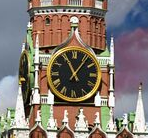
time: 11:06
